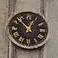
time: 12:52
